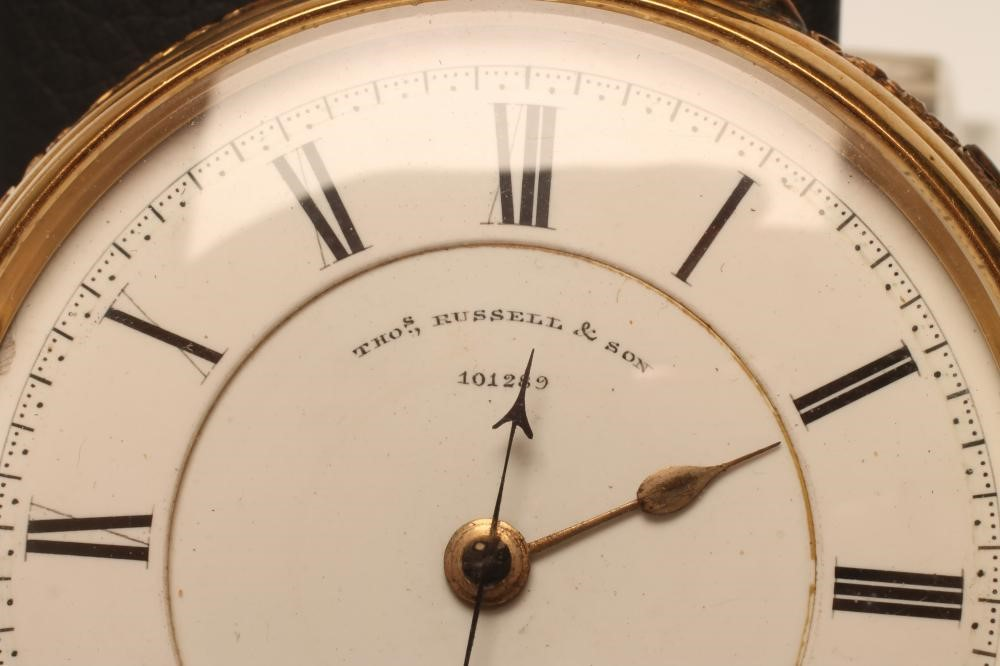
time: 12:10
